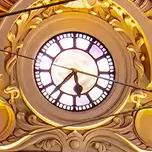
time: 5:37
